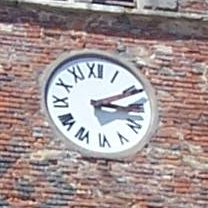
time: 3:11
